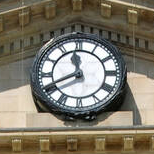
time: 11:41
